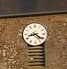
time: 8:21
